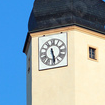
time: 5:28
